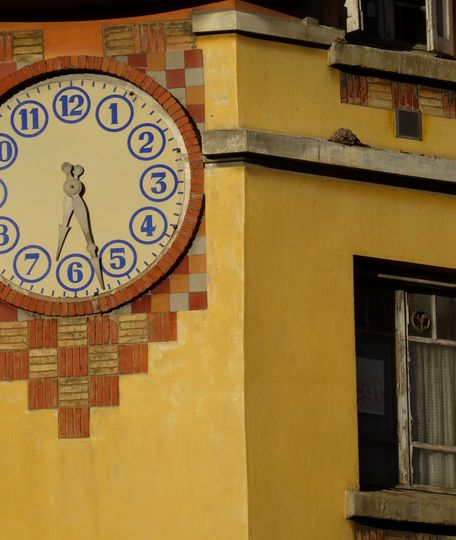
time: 6:27
